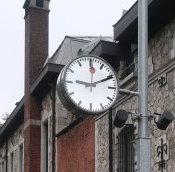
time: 9:10
